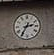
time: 2:35
